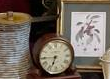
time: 6:45
